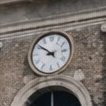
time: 8:51
